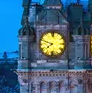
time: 7:47
